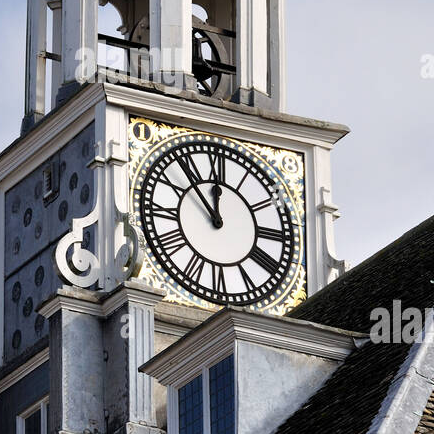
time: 11:52
